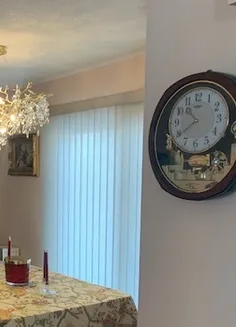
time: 10:39
